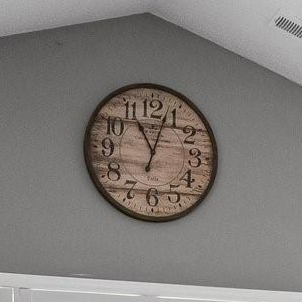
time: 11:03
